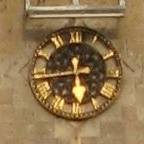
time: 5:44
